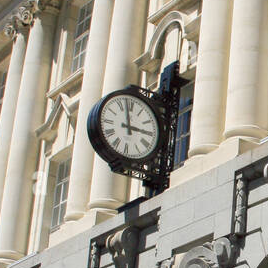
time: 2:58
